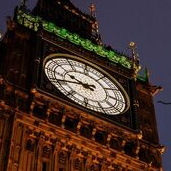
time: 9:41
